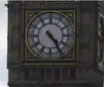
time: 4:24
